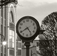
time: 4:39
